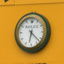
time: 6:22
